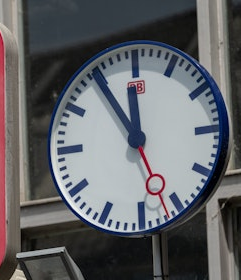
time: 11:54
